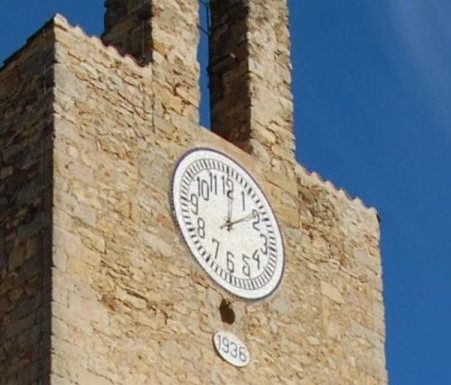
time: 12:08
